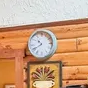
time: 10:40
